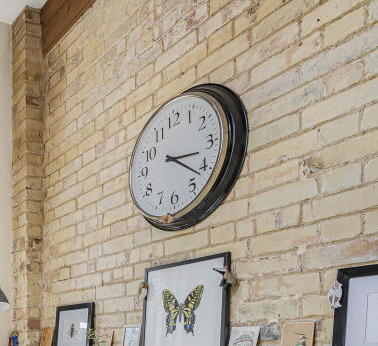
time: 3:21
